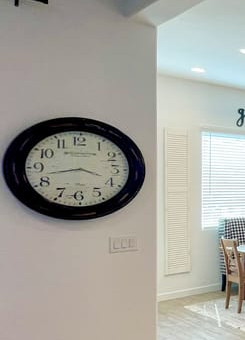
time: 3:42
